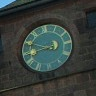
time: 8:49
